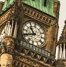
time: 10:41
